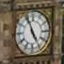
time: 4:56
